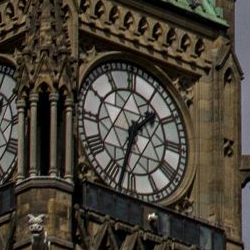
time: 1:32
